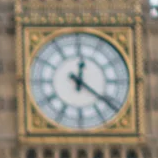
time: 12:21
